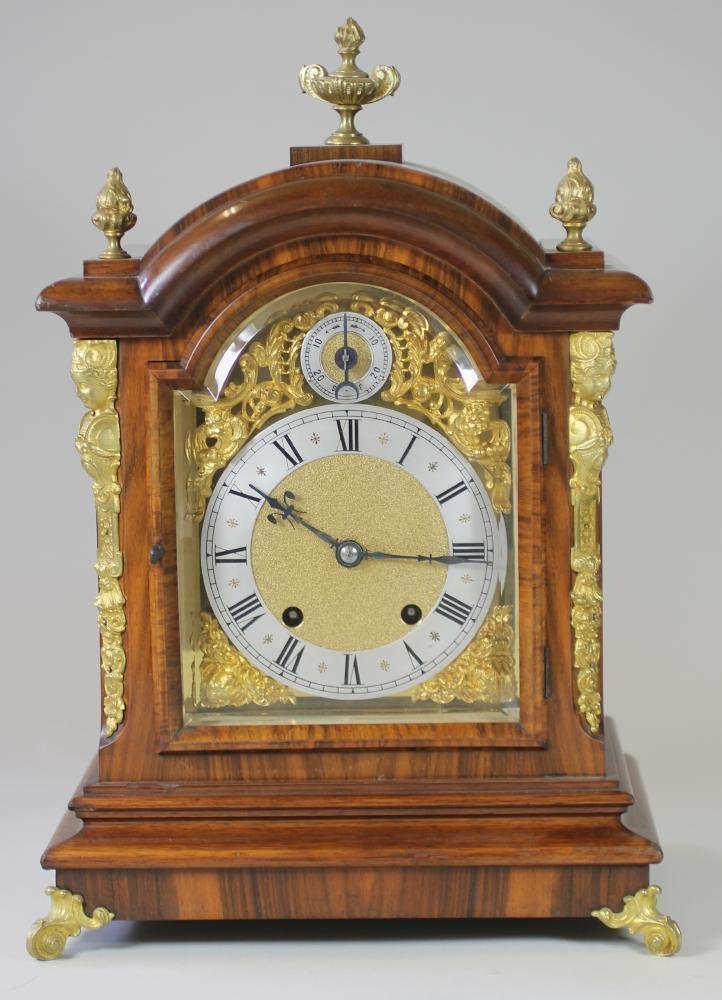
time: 10:15
